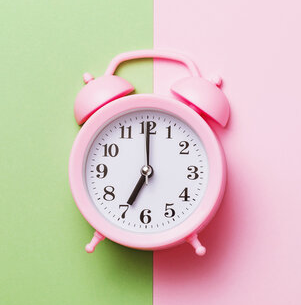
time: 7:00
